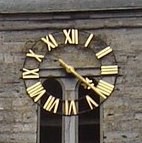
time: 4:14
